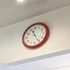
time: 11:25
